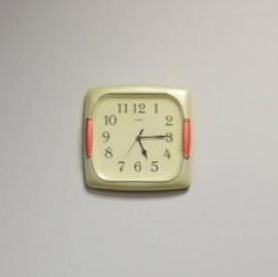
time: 5:14
